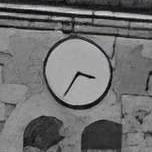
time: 3:35
